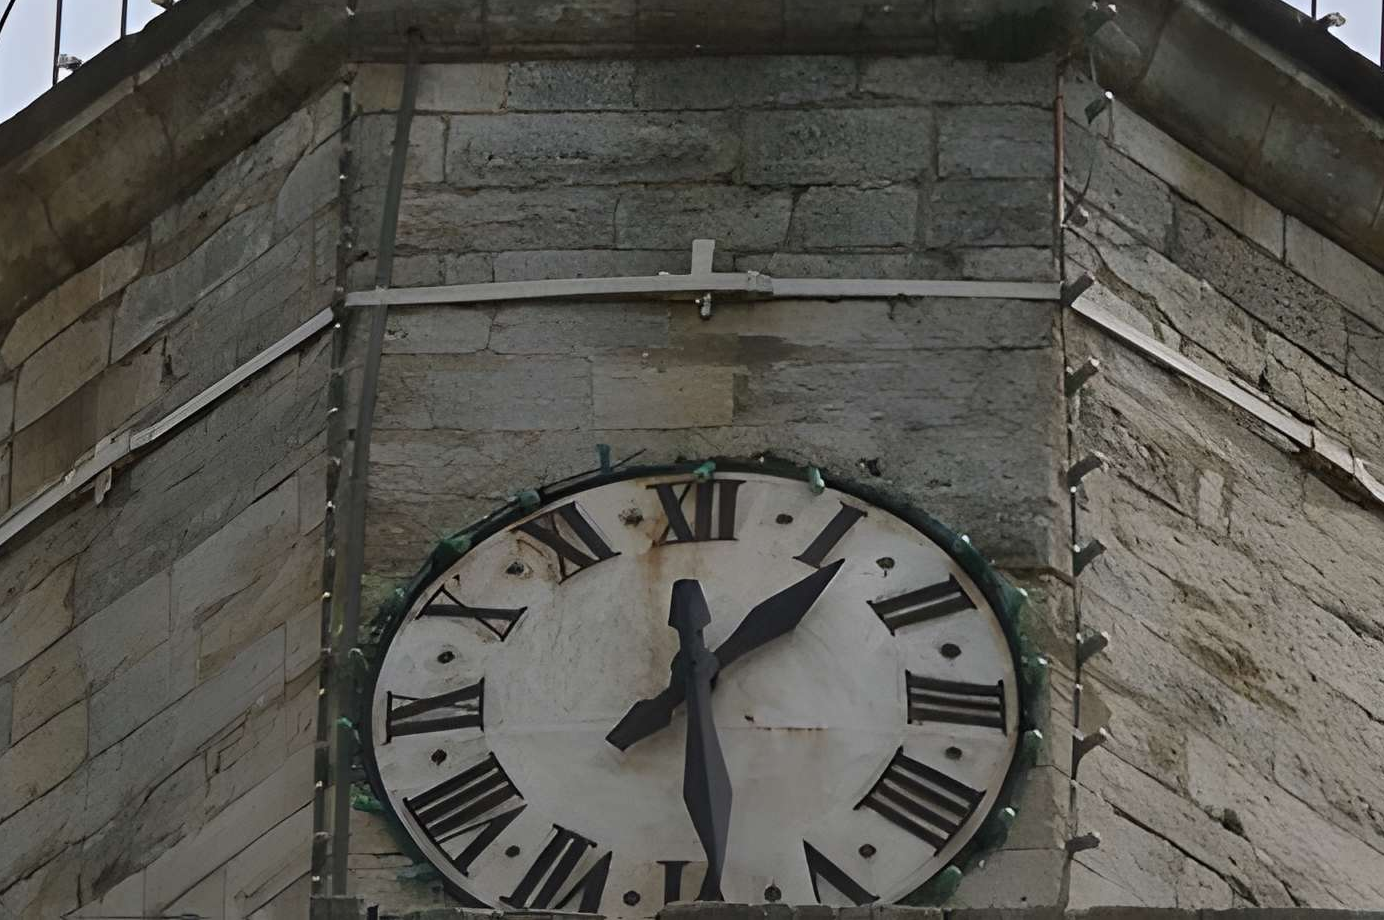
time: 1:28
